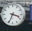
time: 3:34
